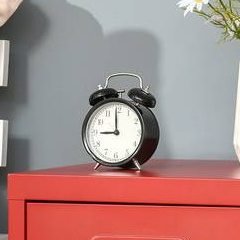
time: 8:59
